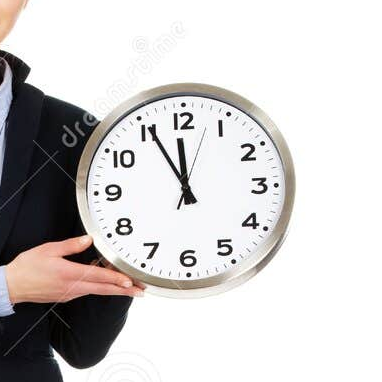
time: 11:55
